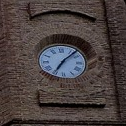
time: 7:07
